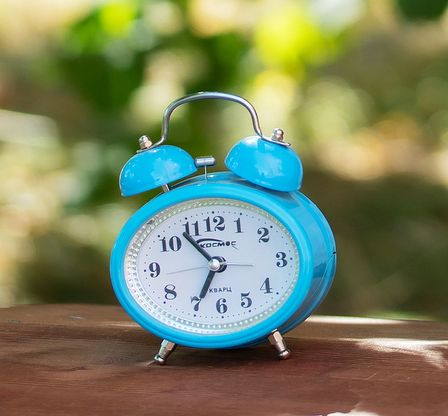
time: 6:54
